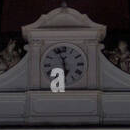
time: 5:56
